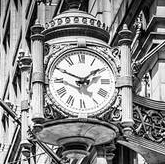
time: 1:49
